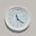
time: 11:21
